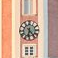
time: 6:23
